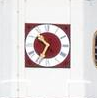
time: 10:34
